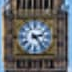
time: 2:23
